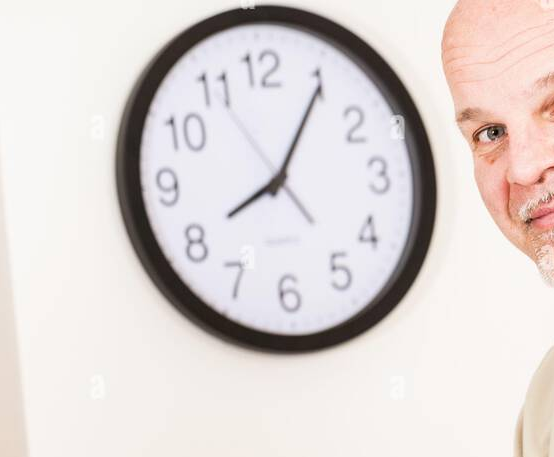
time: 8:05
